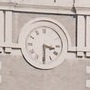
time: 3:29
